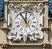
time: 11:54
